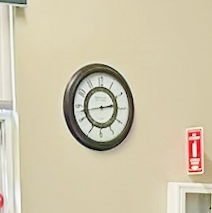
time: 2:43
